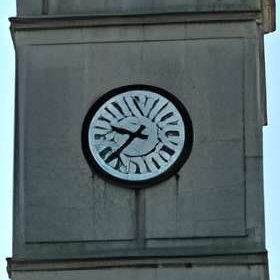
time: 9:37
